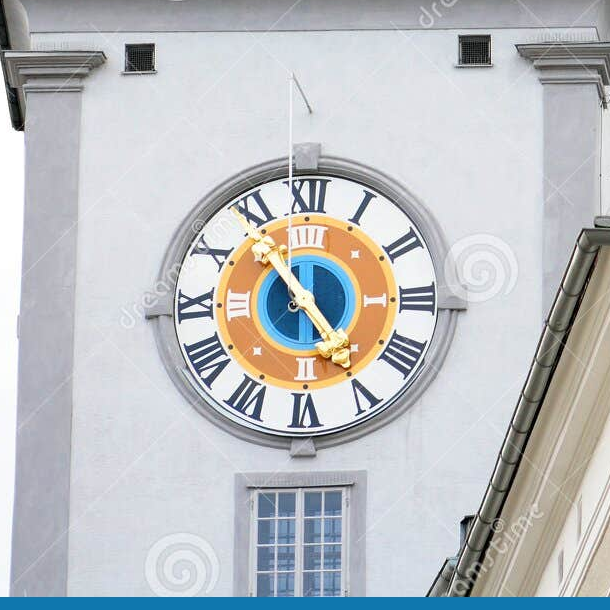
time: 4:53
